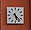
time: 5:22
